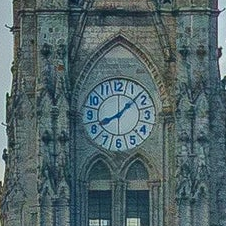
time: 8:07
